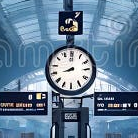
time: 7:59
